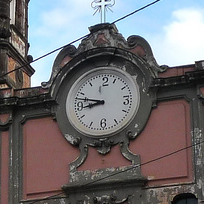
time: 8:47
